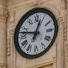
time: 12:47
